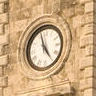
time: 4:57
